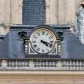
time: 4:18
